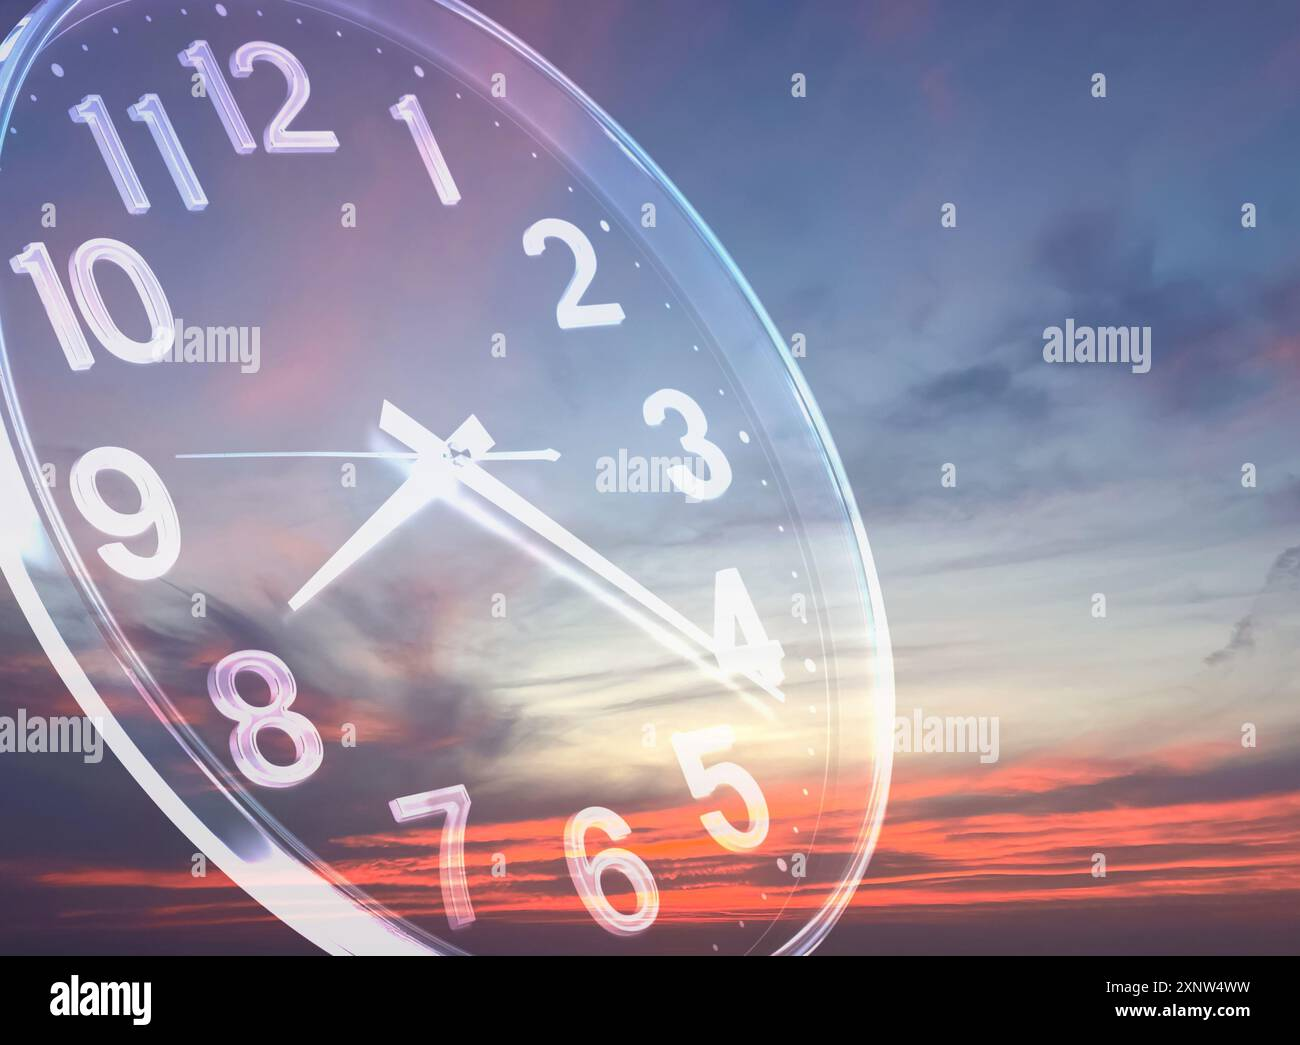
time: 8:21
